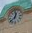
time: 12:37
